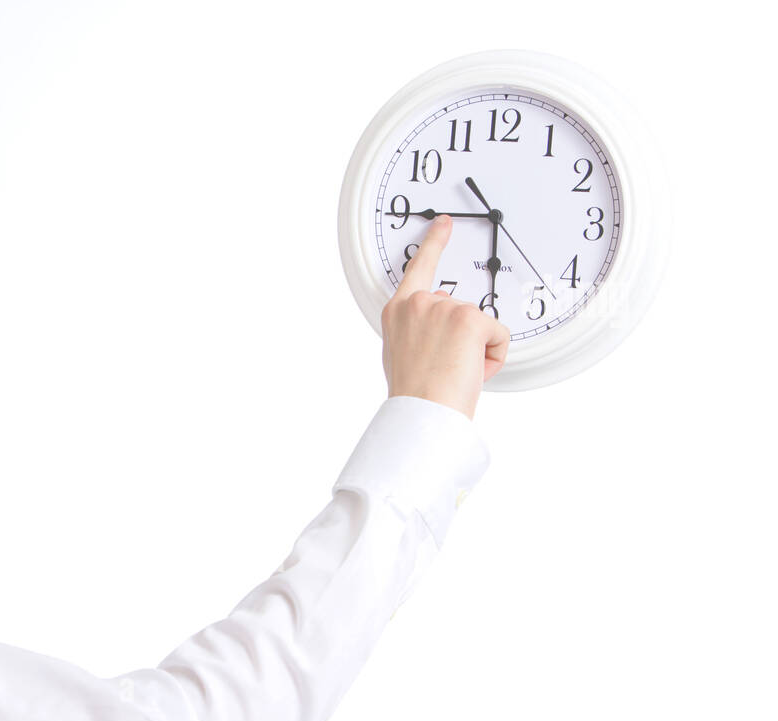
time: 5:44
